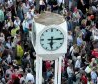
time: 6:15
